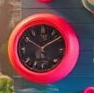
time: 10:09
